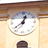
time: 12:38
